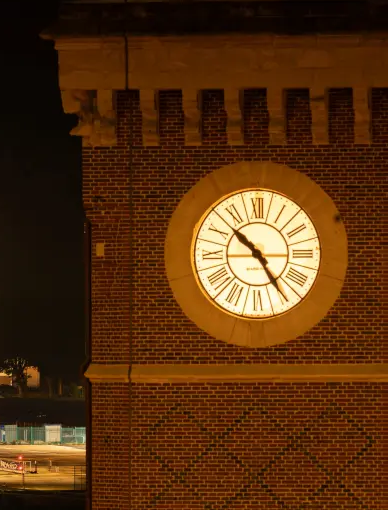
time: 10:24
